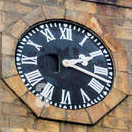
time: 2:18
